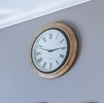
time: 2:48
